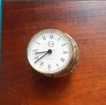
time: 8:38
